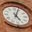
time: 5:03
